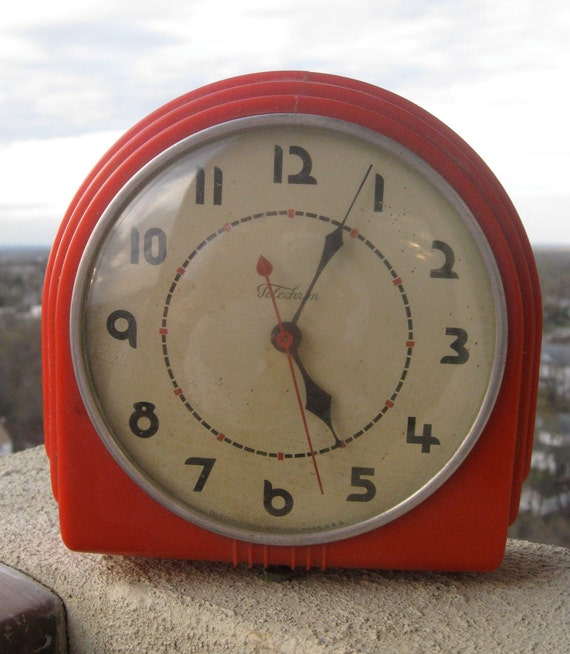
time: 5:04
